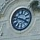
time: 3:47
